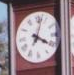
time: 4:02
